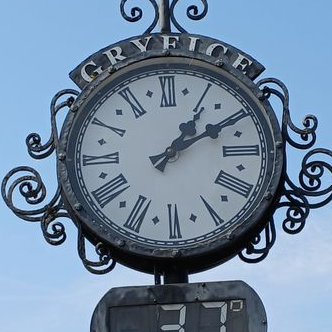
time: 1:09
